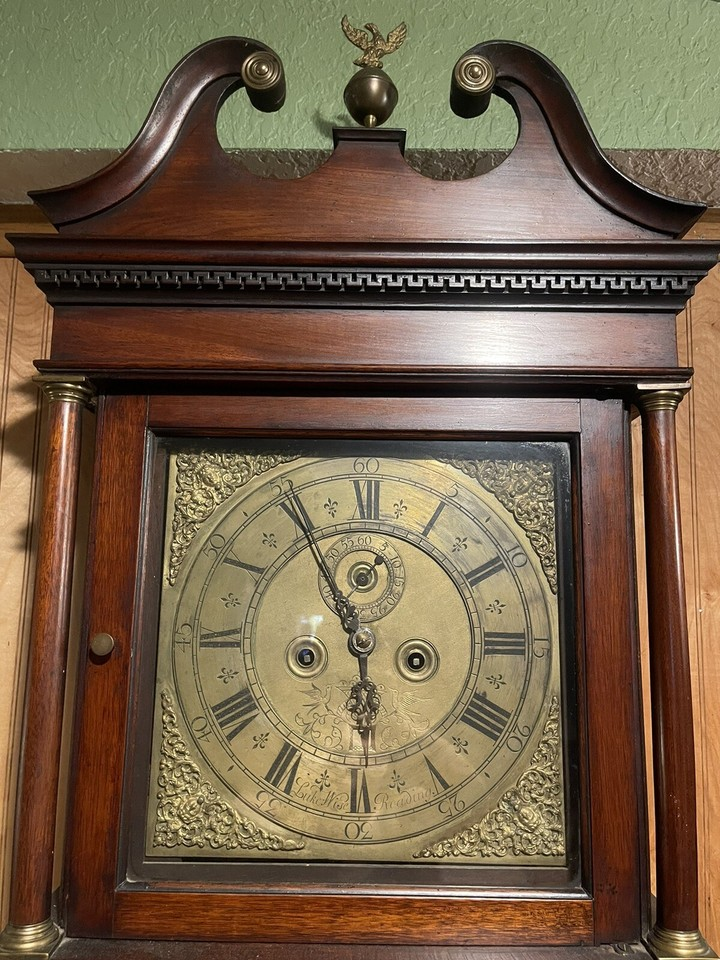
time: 5:55
